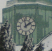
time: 1:57
